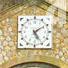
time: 5:09
